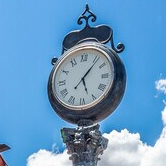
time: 5:06
